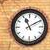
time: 11:09
